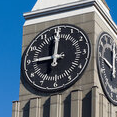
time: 9:00
